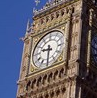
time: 9:30
